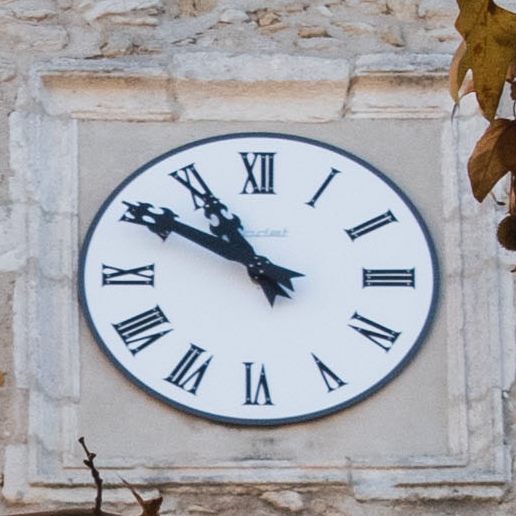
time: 10:50
